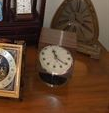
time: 11:21
